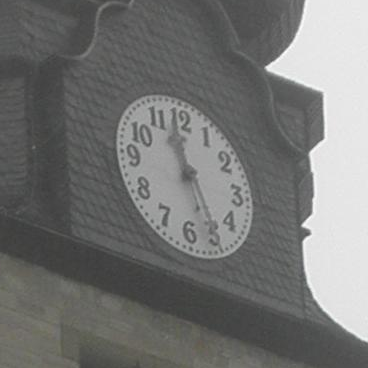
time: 11:25
